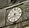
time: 5:40
